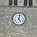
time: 5:02
